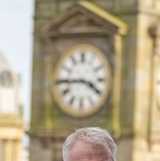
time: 3:44
